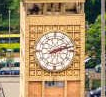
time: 2:11
